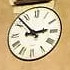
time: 2:52
